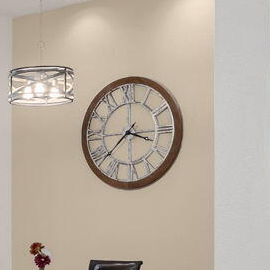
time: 3:38
